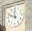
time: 11:48
